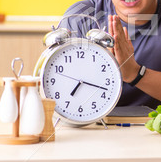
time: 7:17
